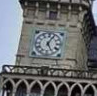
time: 5:04
